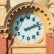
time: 2:11
